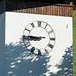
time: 8:45
